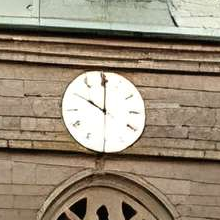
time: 10:00
